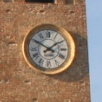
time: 1:50
